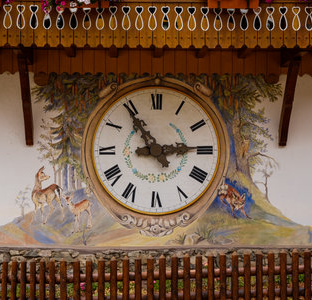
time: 2:54
